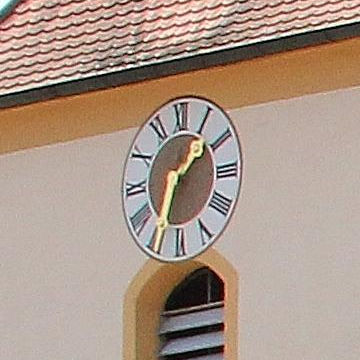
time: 1:33
